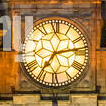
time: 7:13
